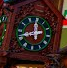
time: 11:41
